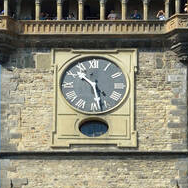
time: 10:27
